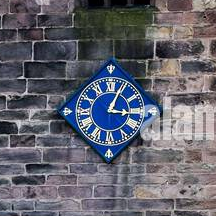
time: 3:04
